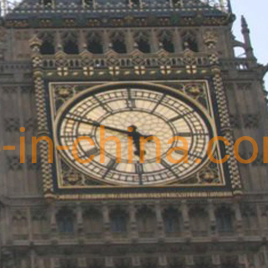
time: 5:48
